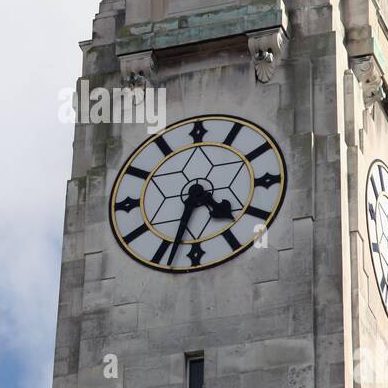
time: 4:33
